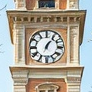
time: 1:06
